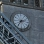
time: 2:36
